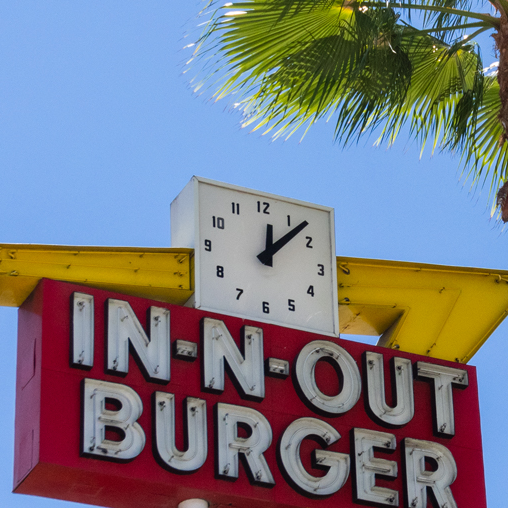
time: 12:07
